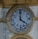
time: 4:00
